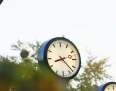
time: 8:22
